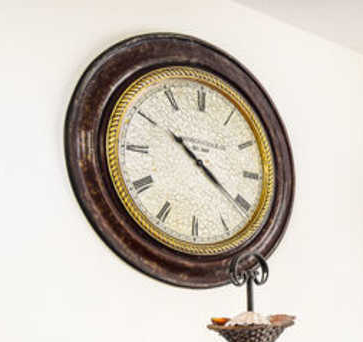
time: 10:20
